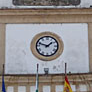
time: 1:47
